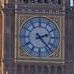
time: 2:22
